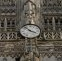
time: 3:52
